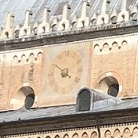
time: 8:50
